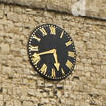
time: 5:42
